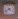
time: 4:38
